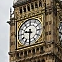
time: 9:31
